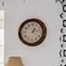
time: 1:12
